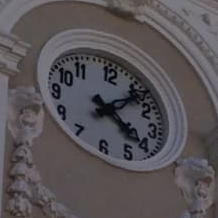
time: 4:07
